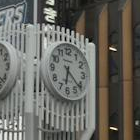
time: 6:21
